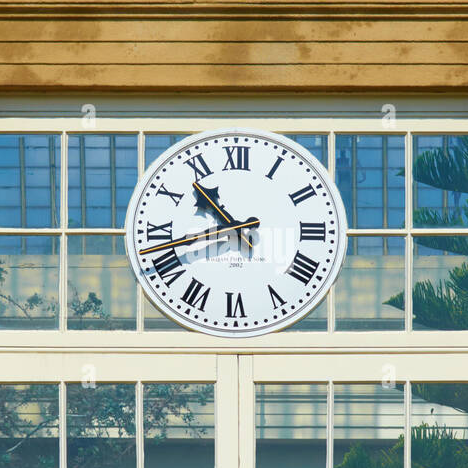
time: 10:42
